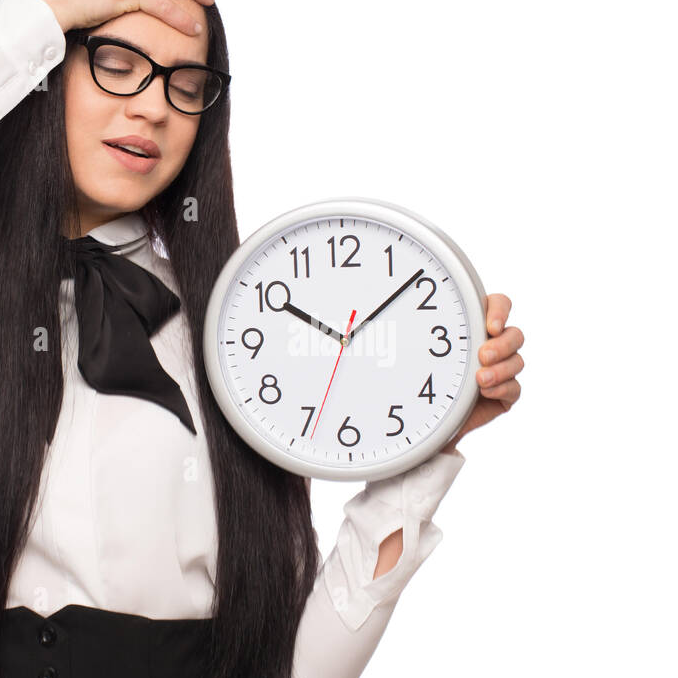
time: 10:08
